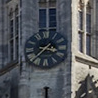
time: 3:37
